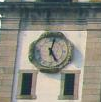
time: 5:01
